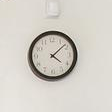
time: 4:08
